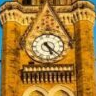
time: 5:22
